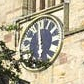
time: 5:59
